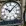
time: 10:07
